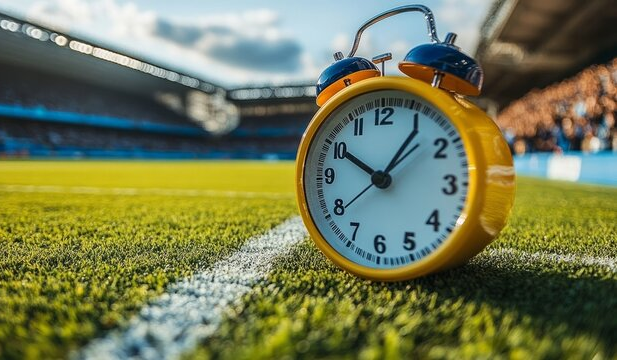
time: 10:06
